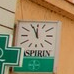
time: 11:55
